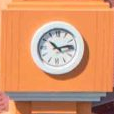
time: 10:13
